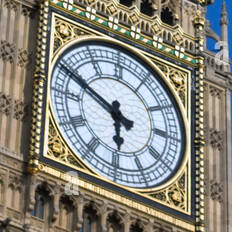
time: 5:49
